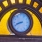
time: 8:41
